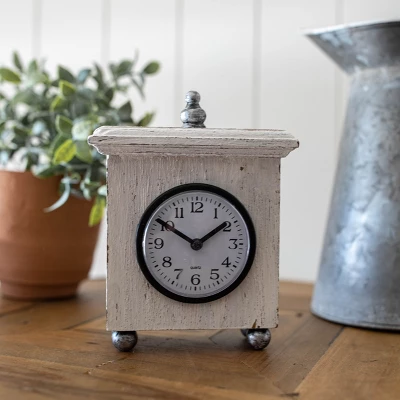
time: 1:50
